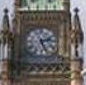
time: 2:26
